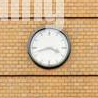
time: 3:42
